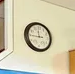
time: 11:45
